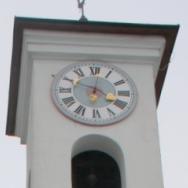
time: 4:01
